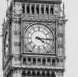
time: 4:15
